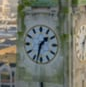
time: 1:32
